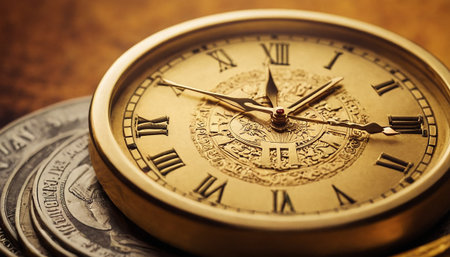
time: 1:16
